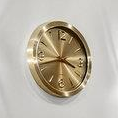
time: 3:42
